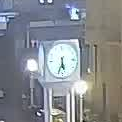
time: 5:33
